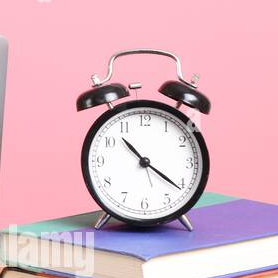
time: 10:21
